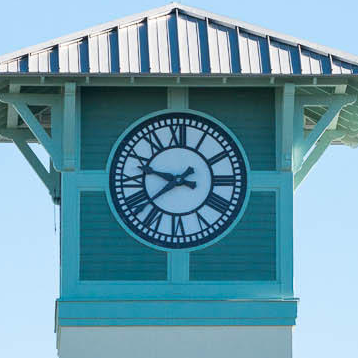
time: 9:38
